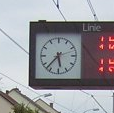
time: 5:37
